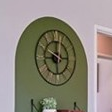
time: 9:01
